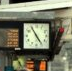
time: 4:54
